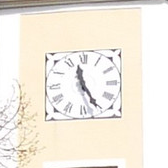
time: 11:25
